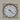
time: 4:22
